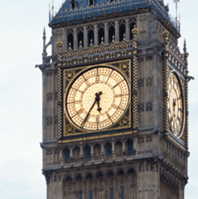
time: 5:35
